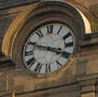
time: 3:48
